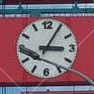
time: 3:05
